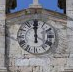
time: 11:59
